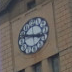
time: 2:46
